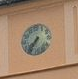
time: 7:36
